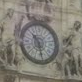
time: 10:28
